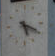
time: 5:18
